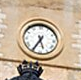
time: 5:35
